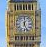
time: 12:26
